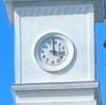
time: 2:58
